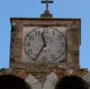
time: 11:34
